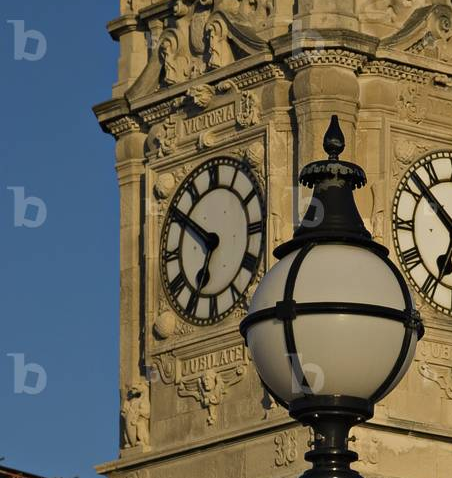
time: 6:50
